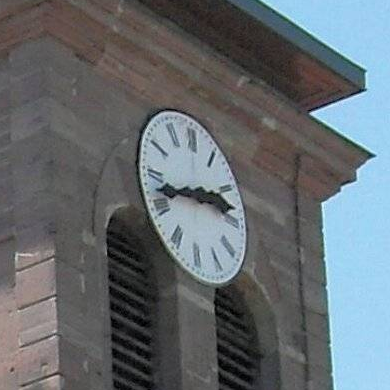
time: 2:42
